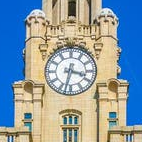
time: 3:32
